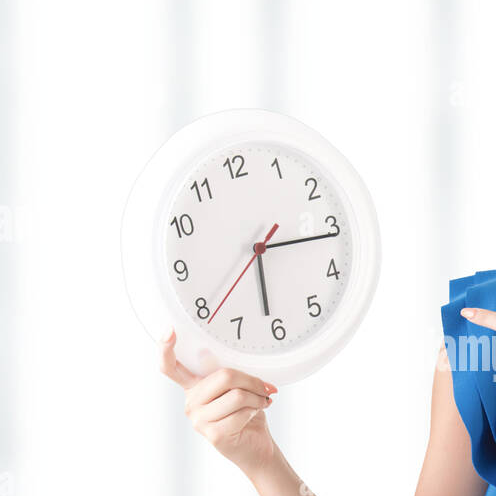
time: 6:15
